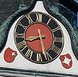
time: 8:28
